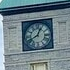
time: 12:40
